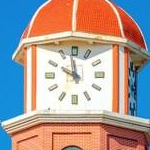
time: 9:58
